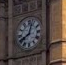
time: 8:03
